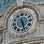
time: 5:27
